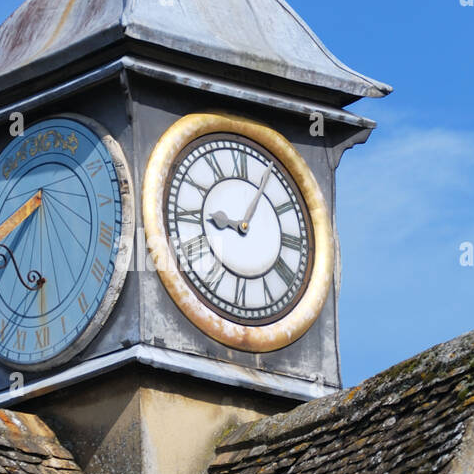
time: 9:05
